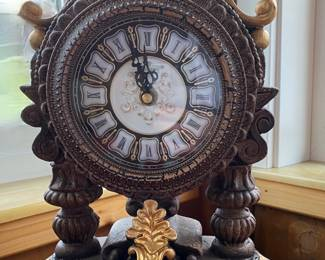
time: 11:55
